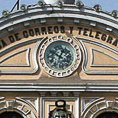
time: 12:49
